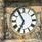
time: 6:54
